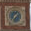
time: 1:33
